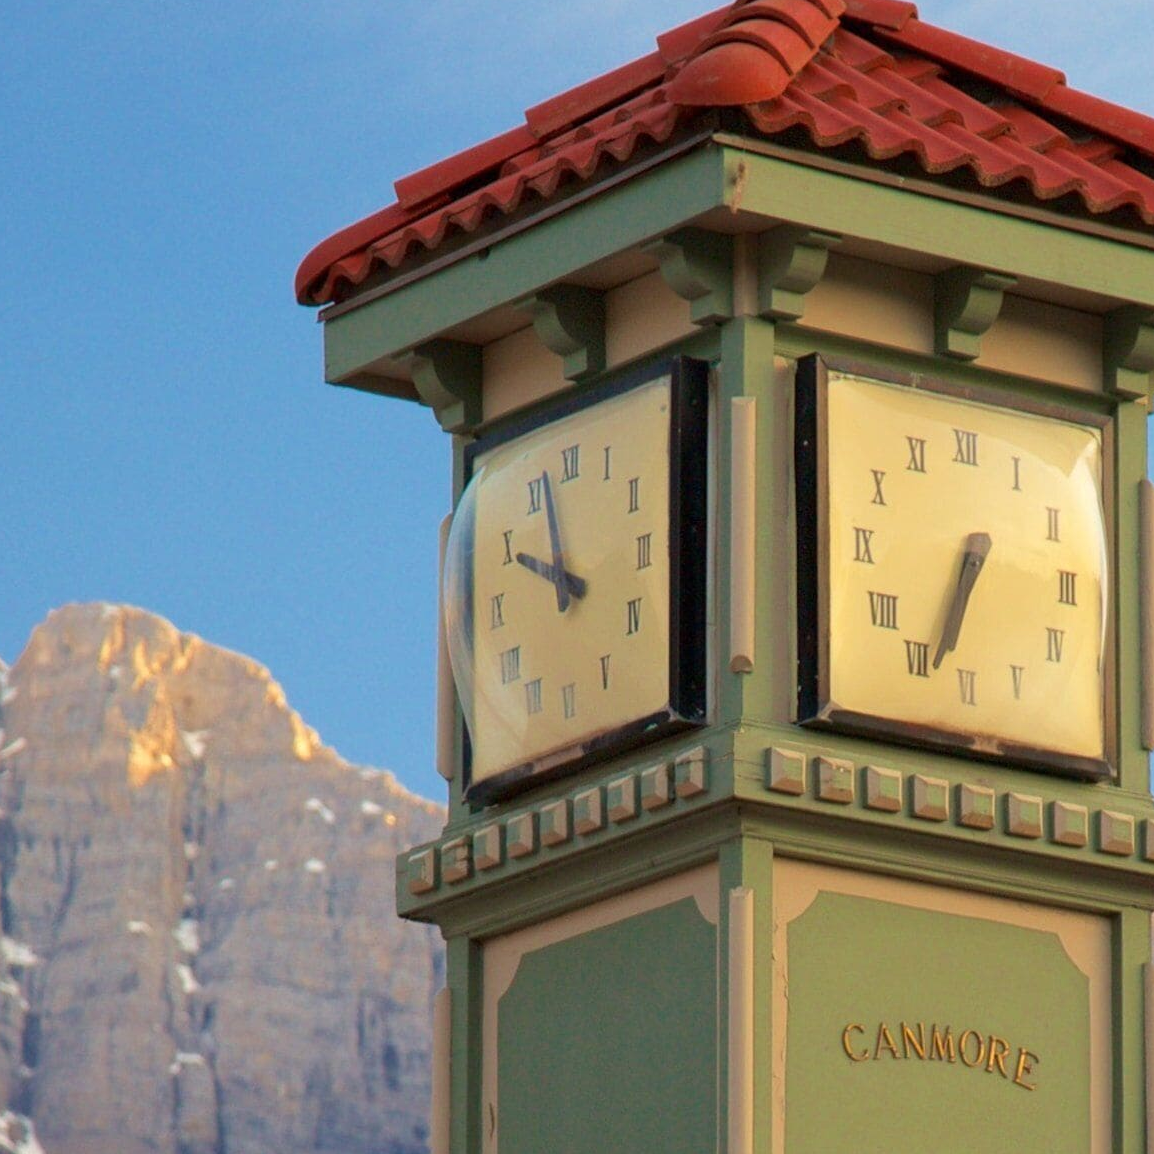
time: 9:57
